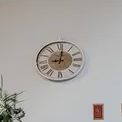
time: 9:01
